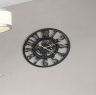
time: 2:21
